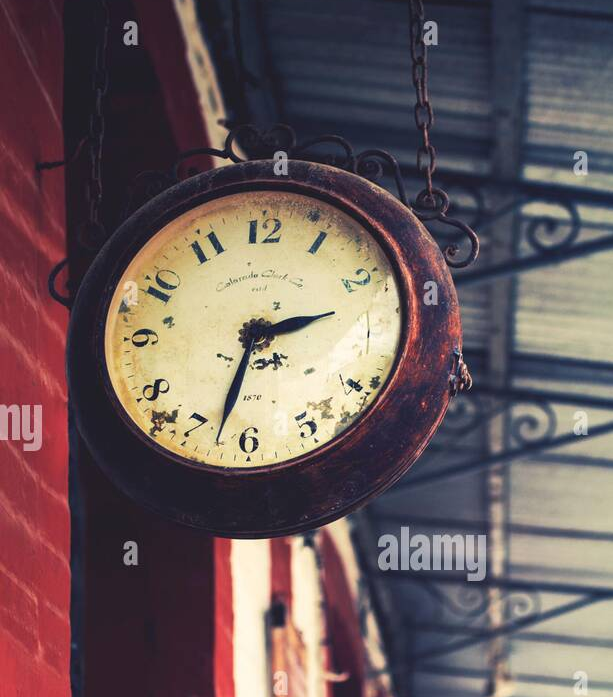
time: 2:32
